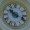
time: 10:18
